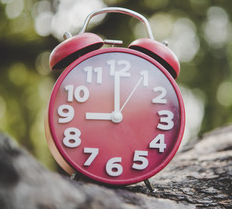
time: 8:59
